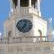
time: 7:03
